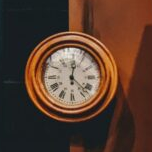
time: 12:22
